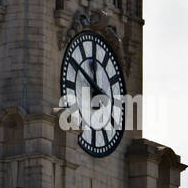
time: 11:49
